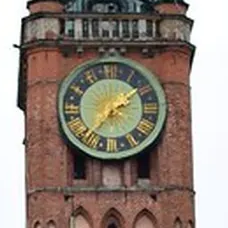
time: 2:09
